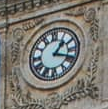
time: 1:18
